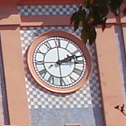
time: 2:12
